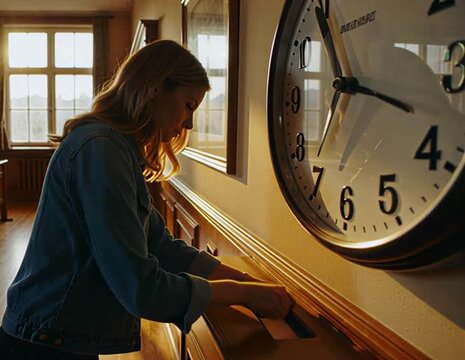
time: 11:18
